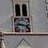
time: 9:17
